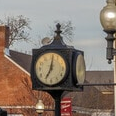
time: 7:01
